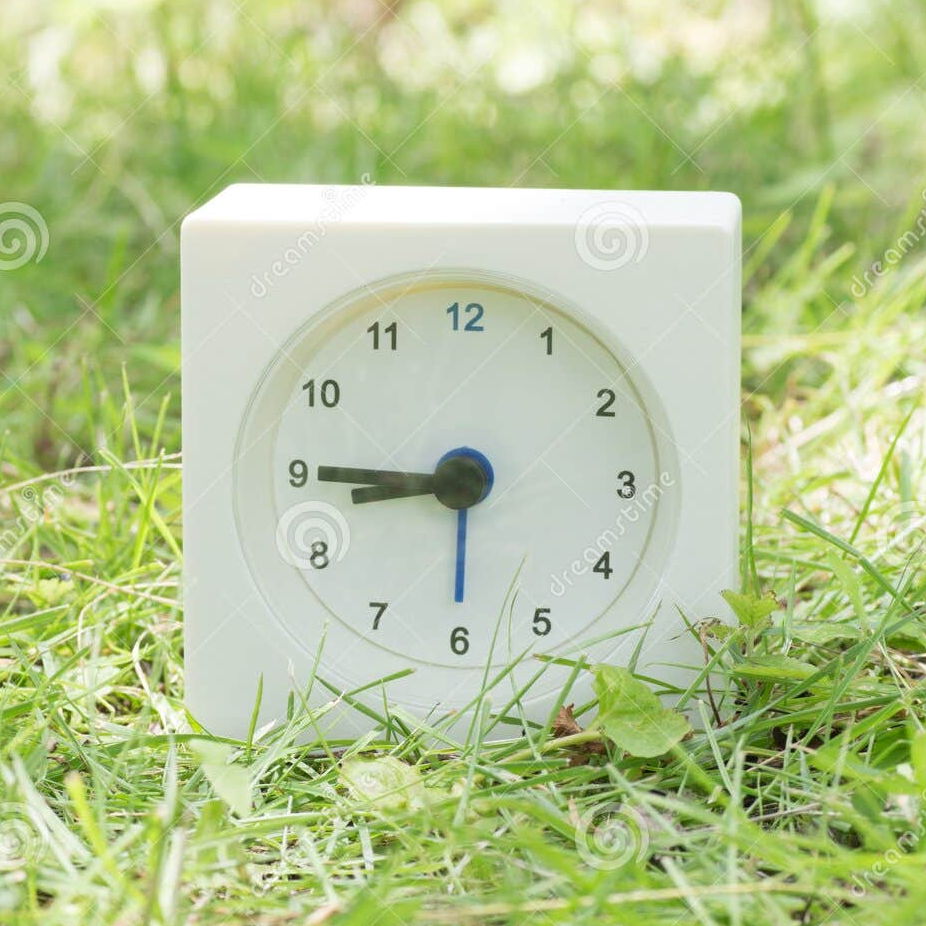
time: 8:45
